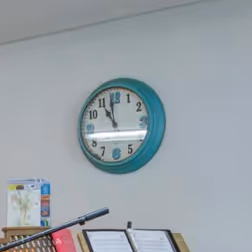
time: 10:59
